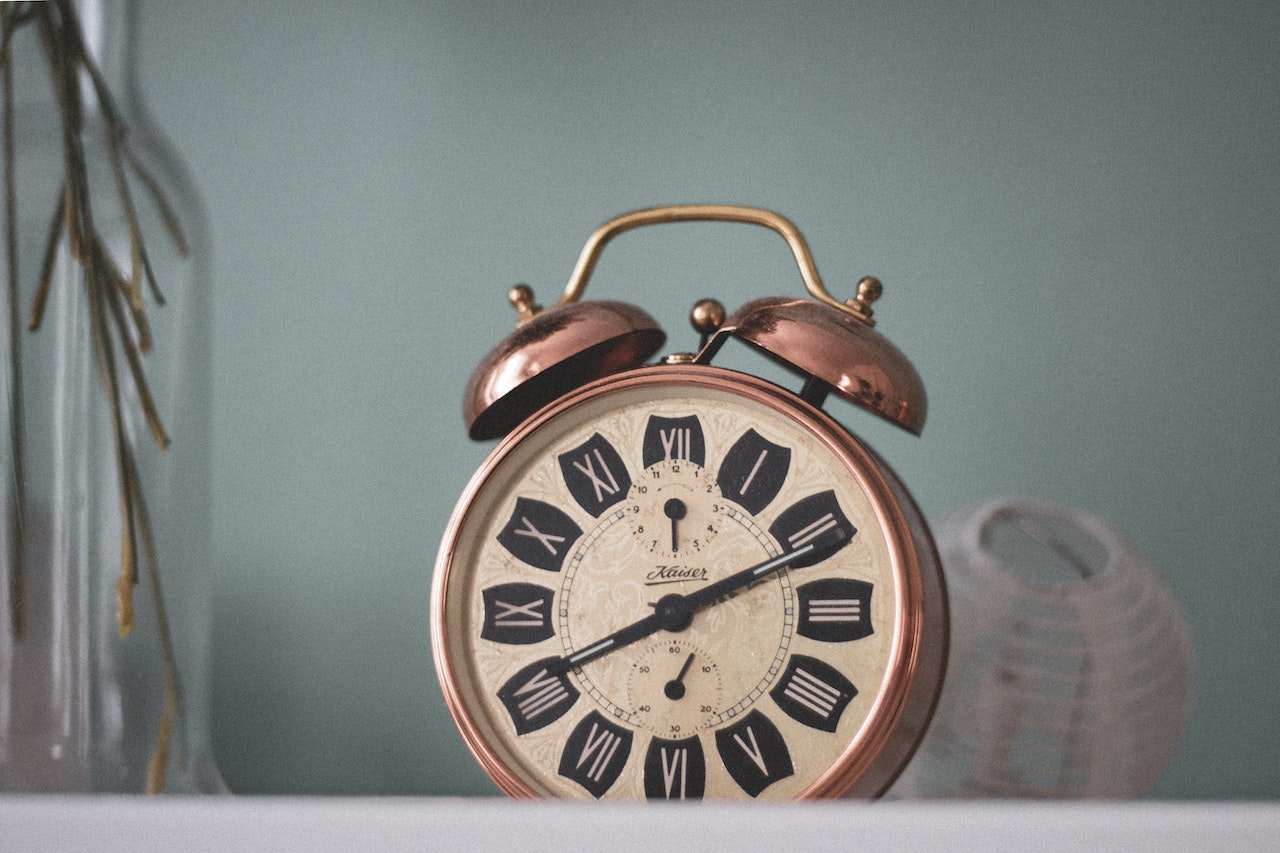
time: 8:11
